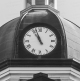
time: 10:56
